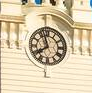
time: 7:57
